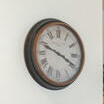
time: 3:48
